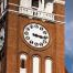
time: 3:16
